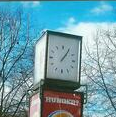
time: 1:05
